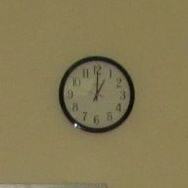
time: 1:00
